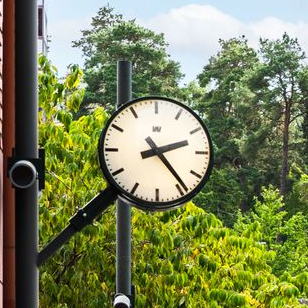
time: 2:23
